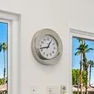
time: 12:42
